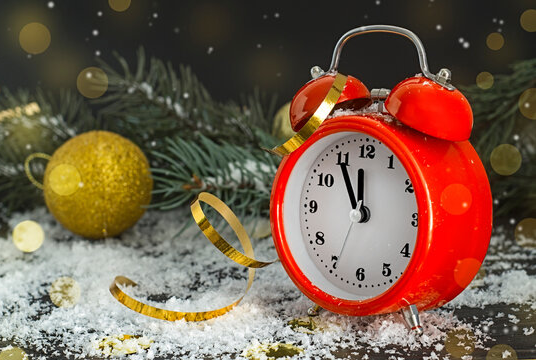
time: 11:55
